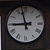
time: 8:57
